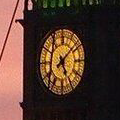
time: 5:08
